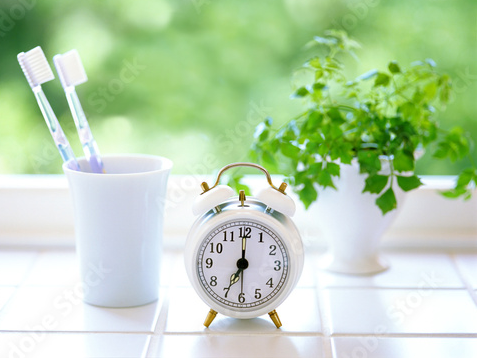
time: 7:00
